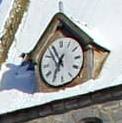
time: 6:55
